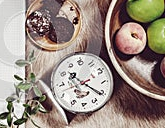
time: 10:20
